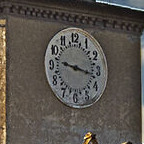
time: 9:16
